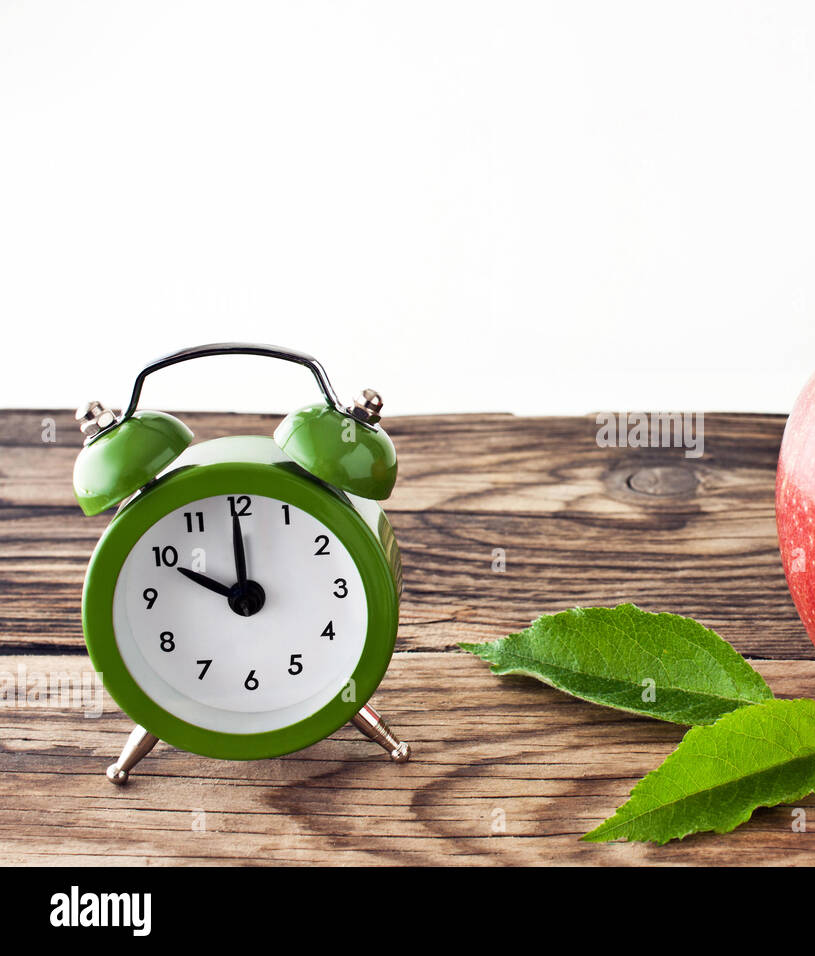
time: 10:00
